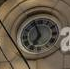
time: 6:56
